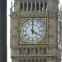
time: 4:00
